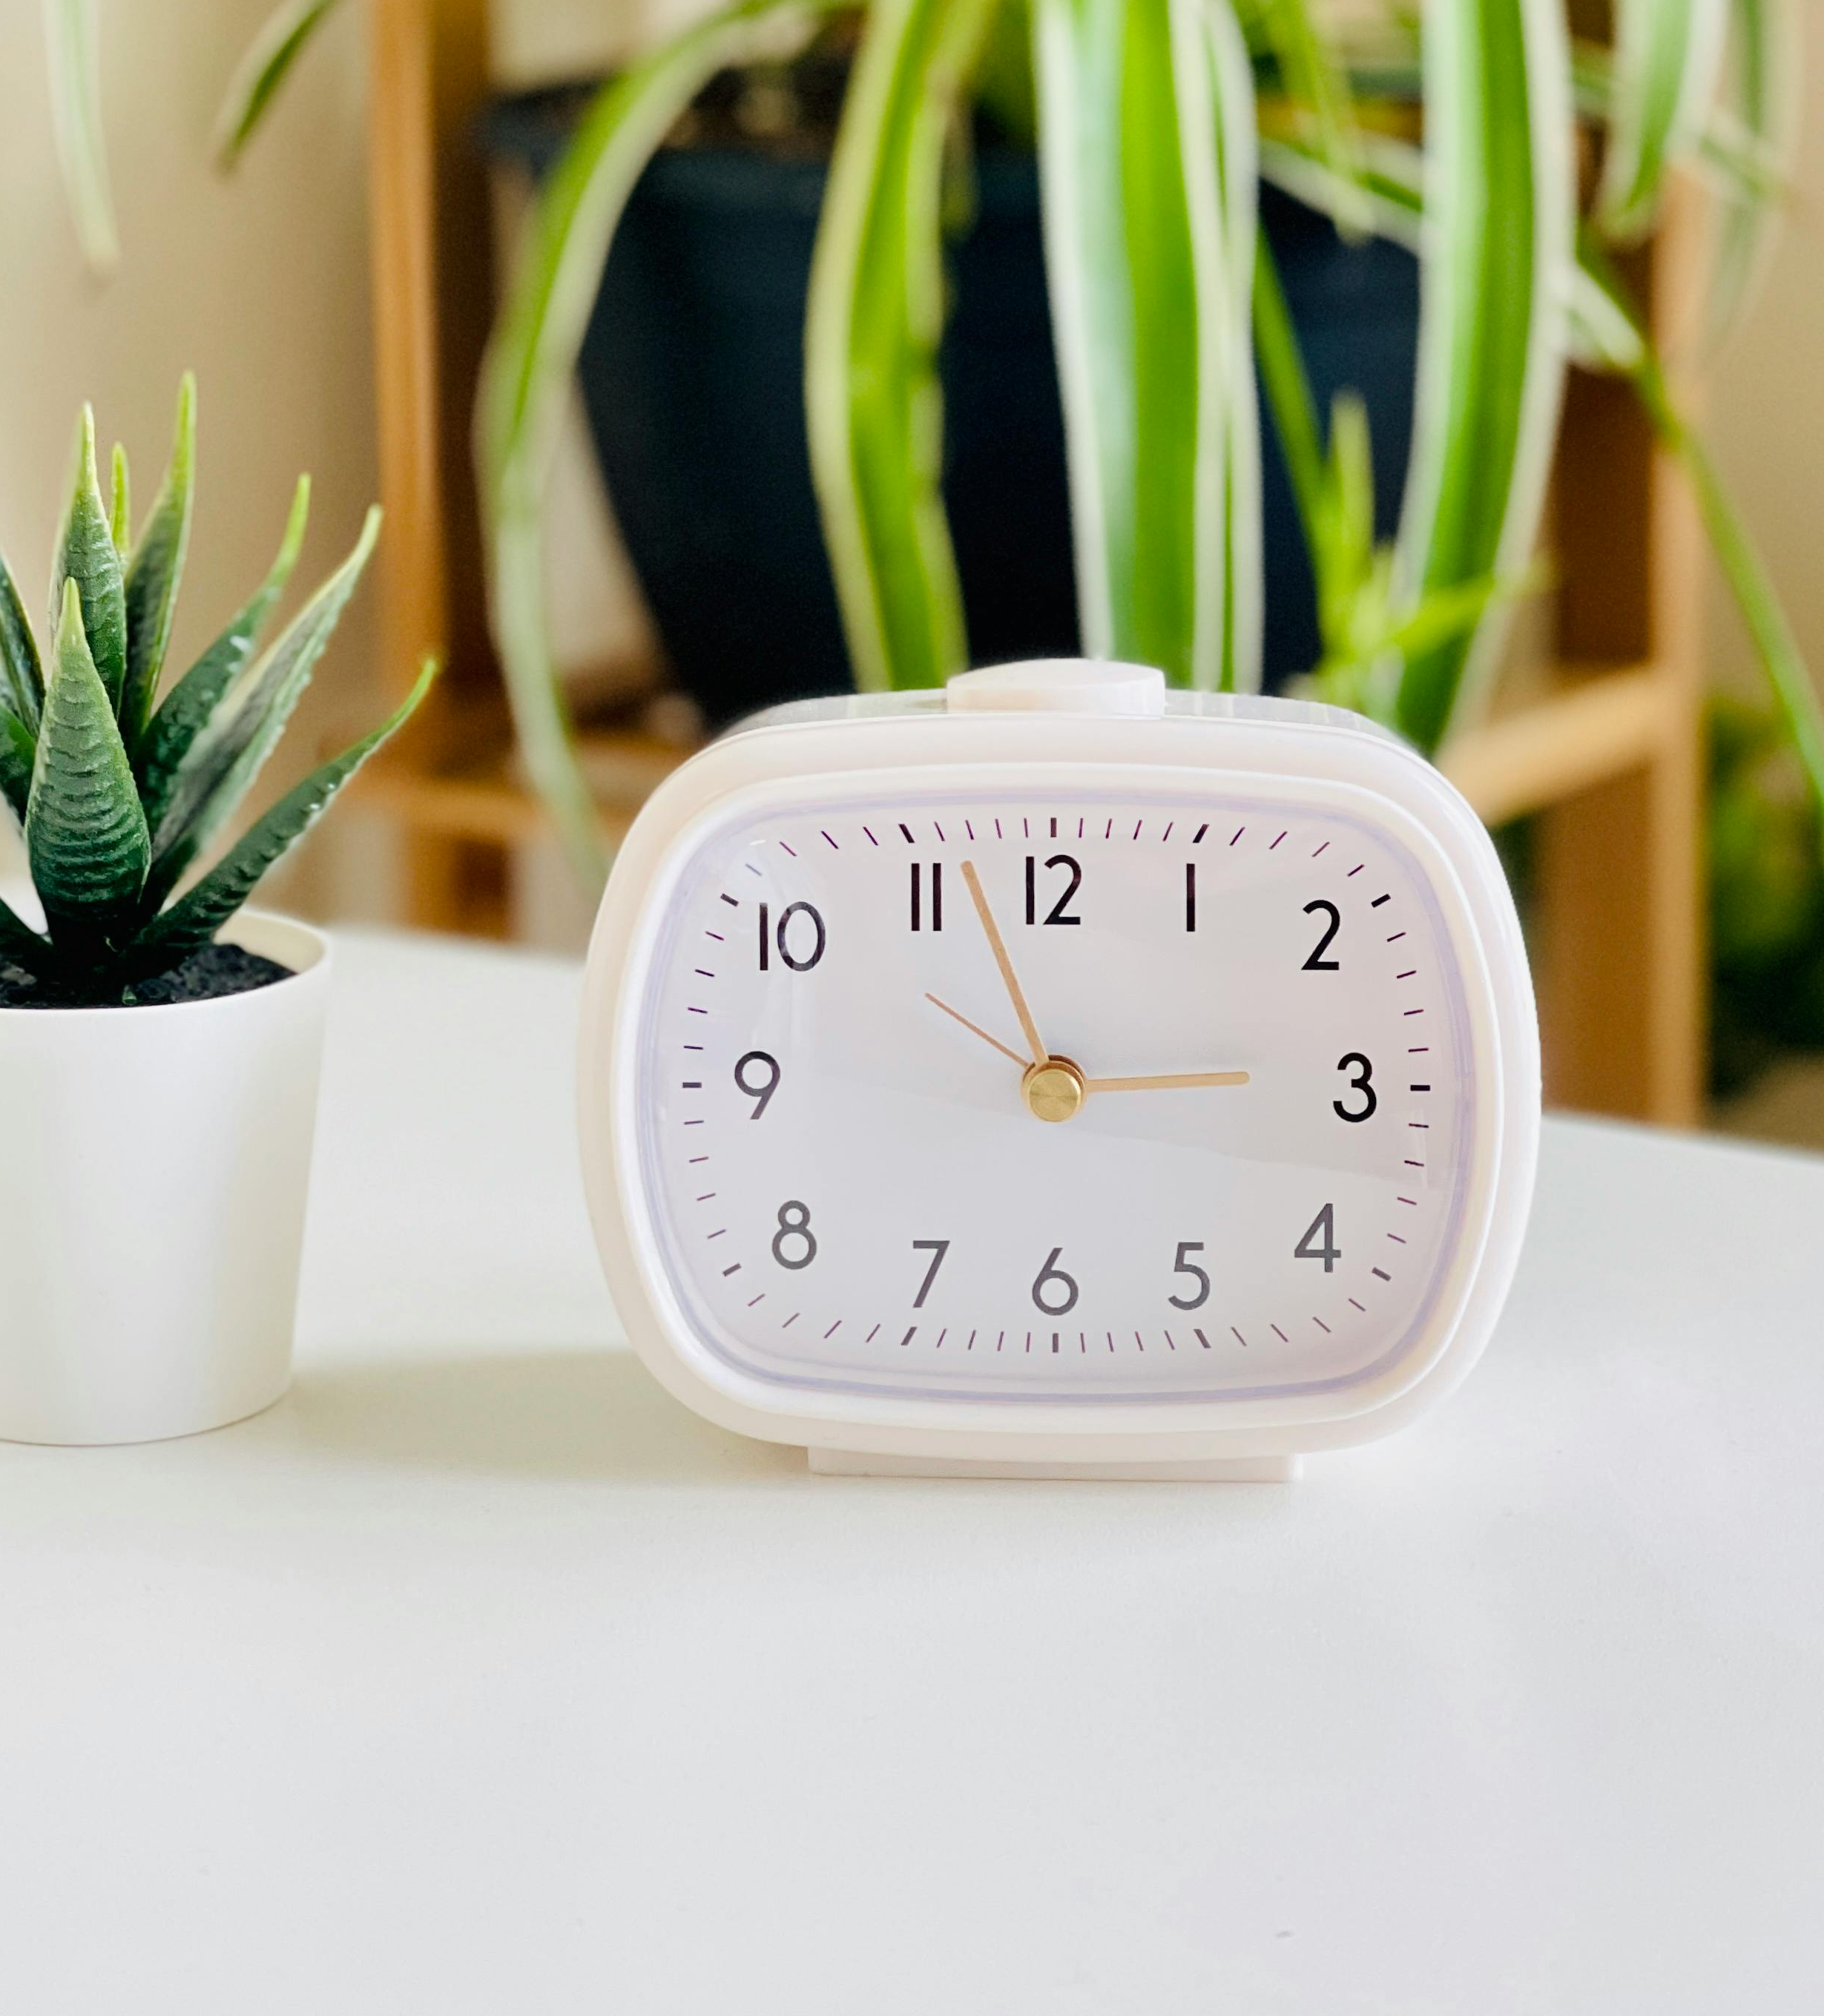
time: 2:56
